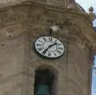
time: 1:35
